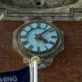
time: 4:07
